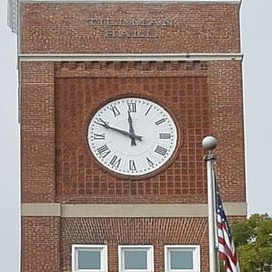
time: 11:48
